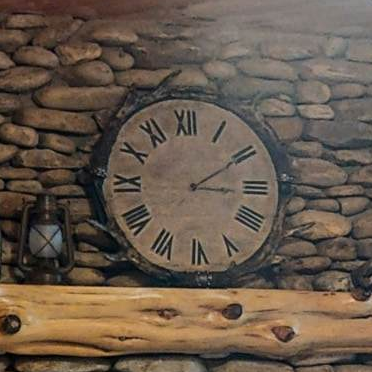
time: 3:09
